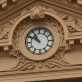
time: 10:50
